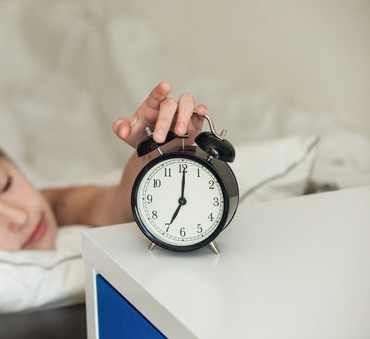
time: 7:00
